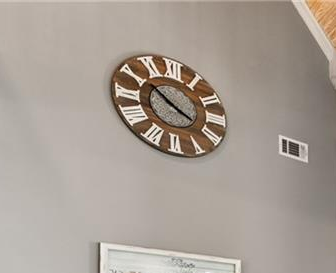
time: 3:51
